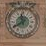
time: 11:39
